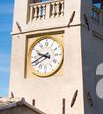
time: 9:40
